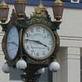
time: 3:46
